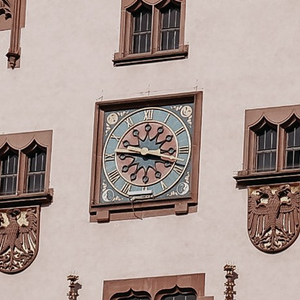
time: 3:46
